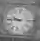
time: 9:44
